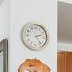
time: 2:23
